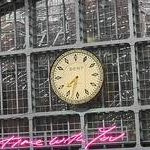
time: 7:32
